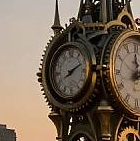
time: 8:11
